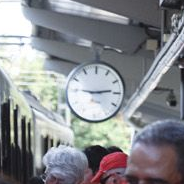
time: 2:46
